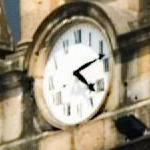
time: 4:12
